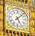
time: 5:07
